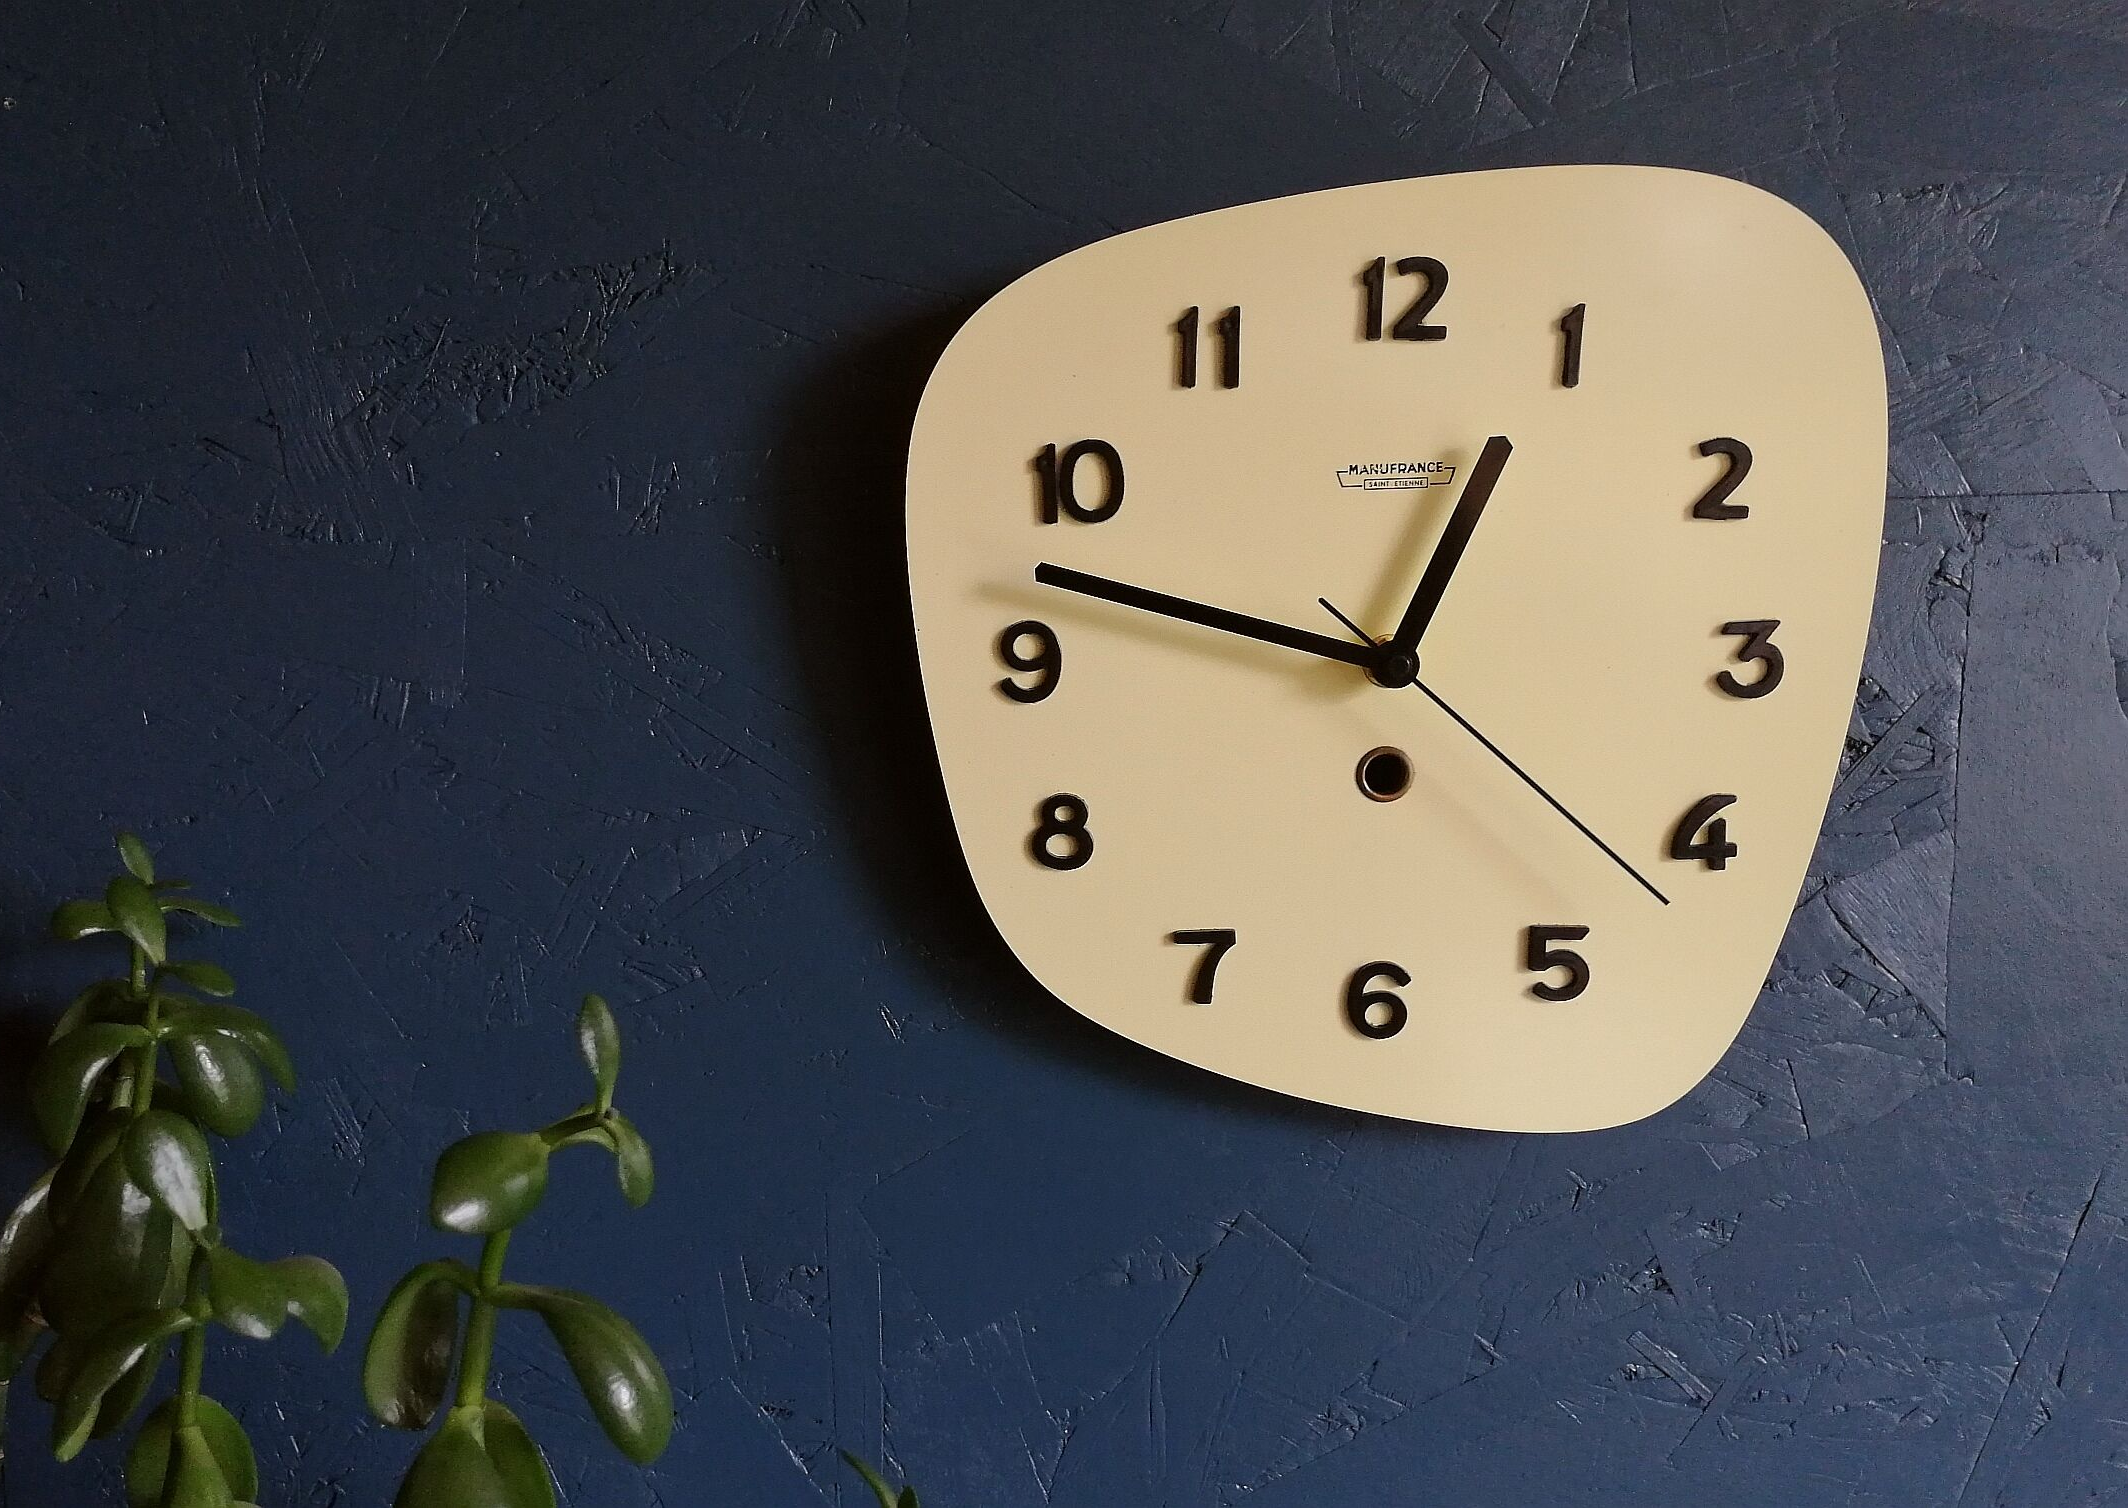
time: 12:47
